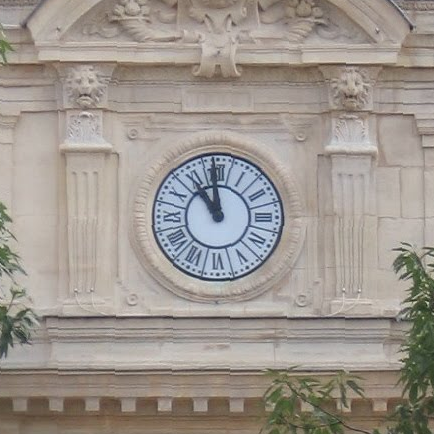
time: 10:59
